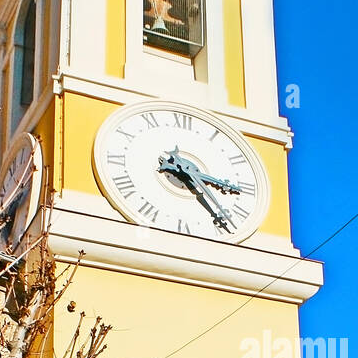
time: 3:24
